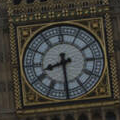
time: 8:30
